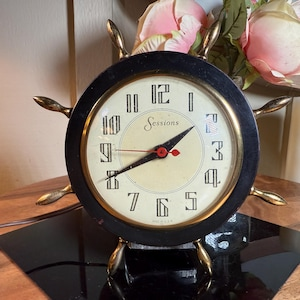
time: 1:41
